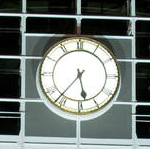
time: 5:36
